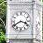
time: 3:40
